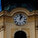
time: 1:01
